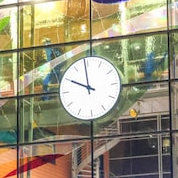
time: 9:58
